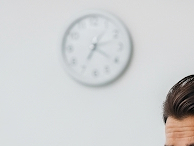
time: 7:12
